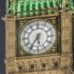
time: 5:35
